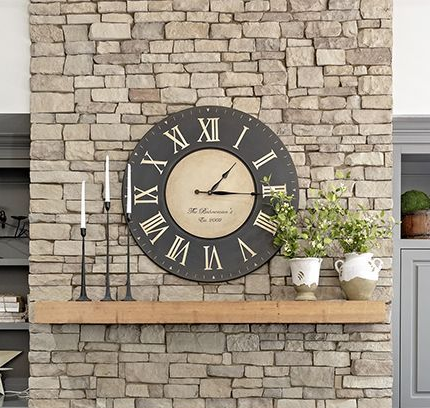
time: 1:15
